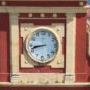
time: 8:42
